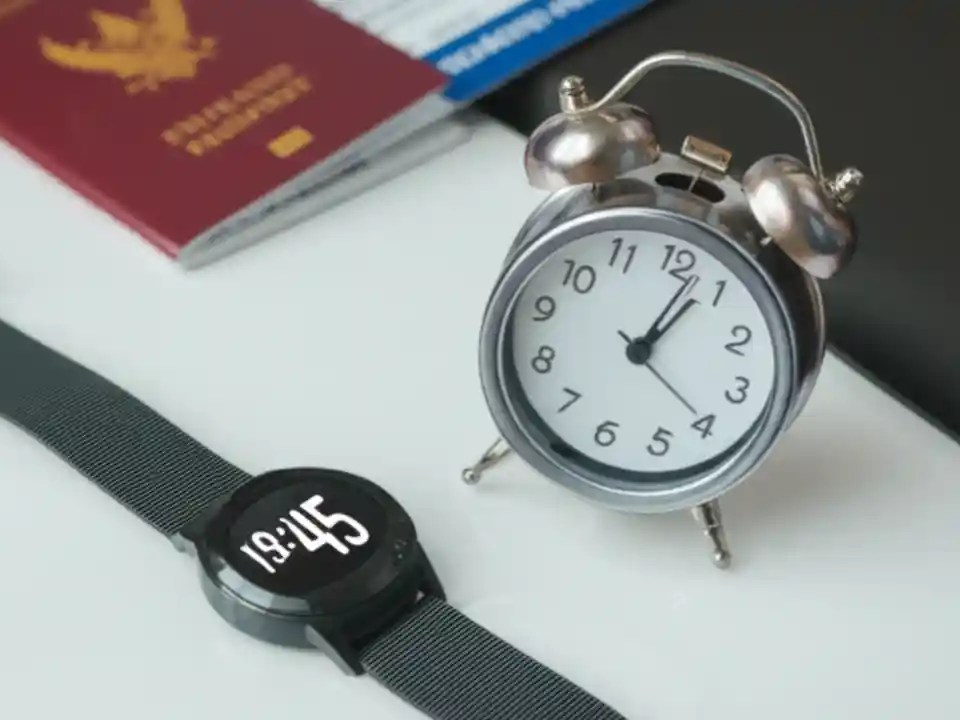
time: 1:03
